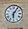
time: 6:05
